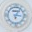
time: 3:04
